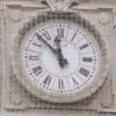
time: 11:52
